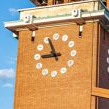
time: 8:56
